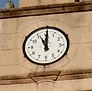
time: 11:00
